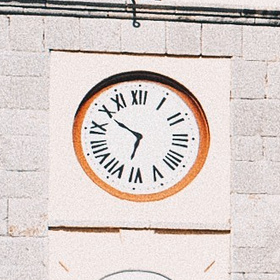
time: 6:49
